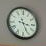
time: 3:26
